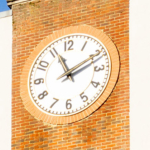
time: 11:10
